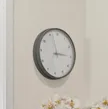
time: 2:57
